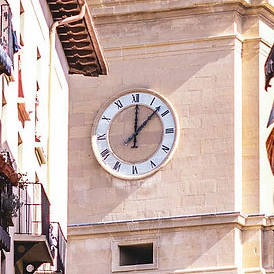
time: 12:07
